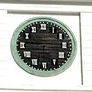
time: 2:46
